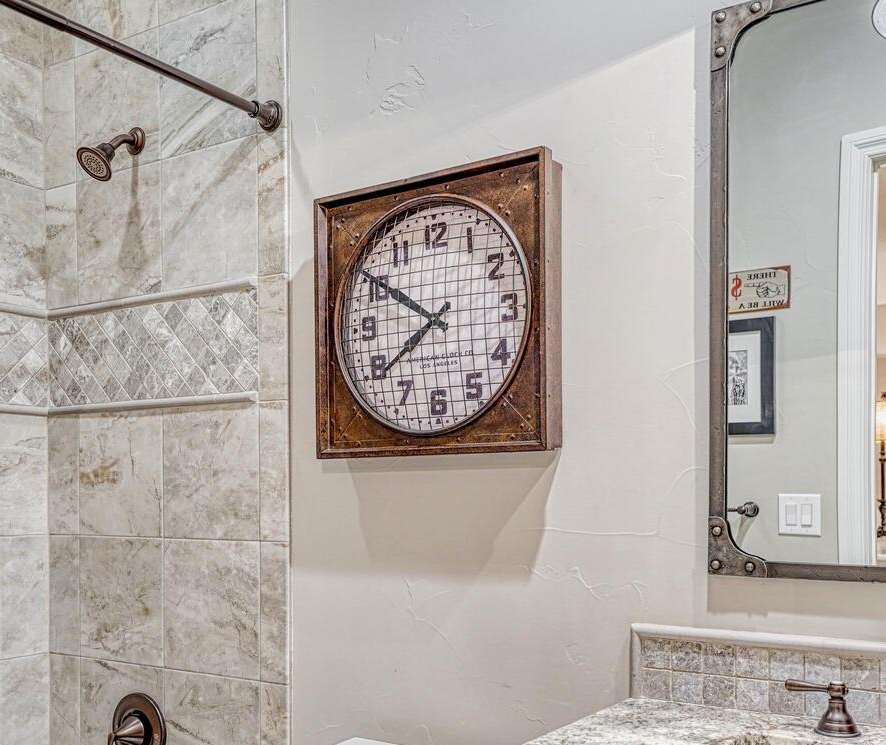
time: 7:50
